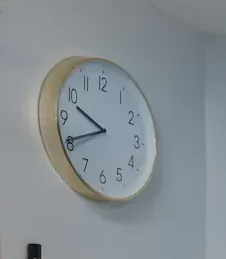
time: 9:40
